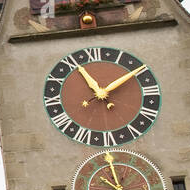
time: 11:08
